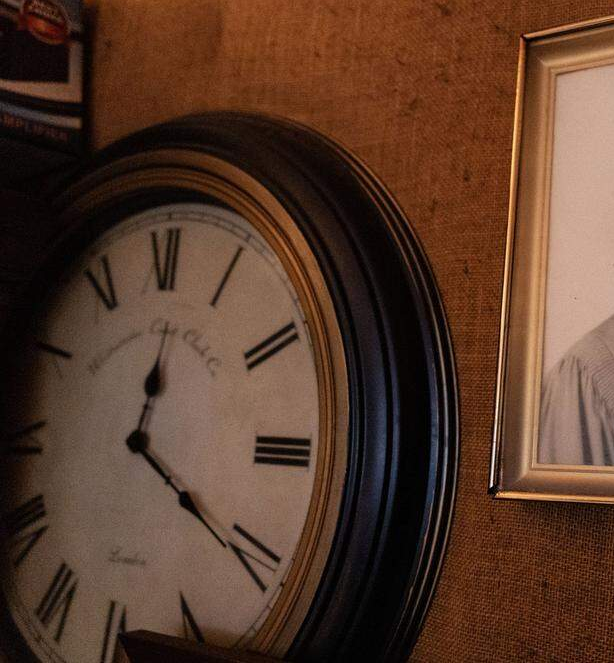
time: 12:20
